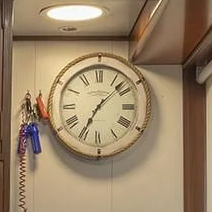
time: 7:07
